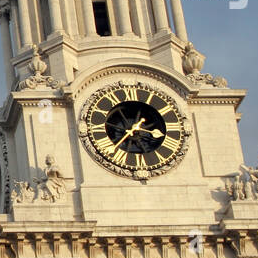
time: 3:36
